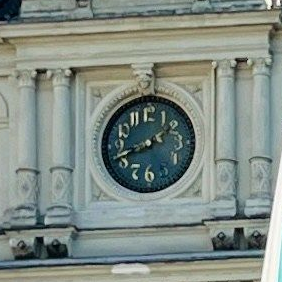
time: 1:41
